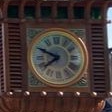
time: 7:48
